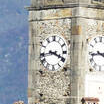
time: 3:43
